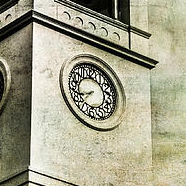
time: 7:41
